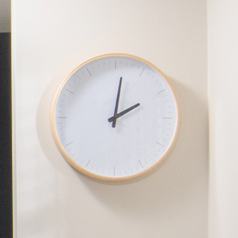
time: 2:01
